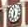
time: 11:32
